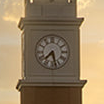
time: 7:28
